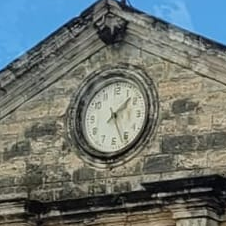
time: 1:26
